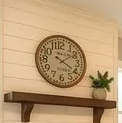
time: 4:09
